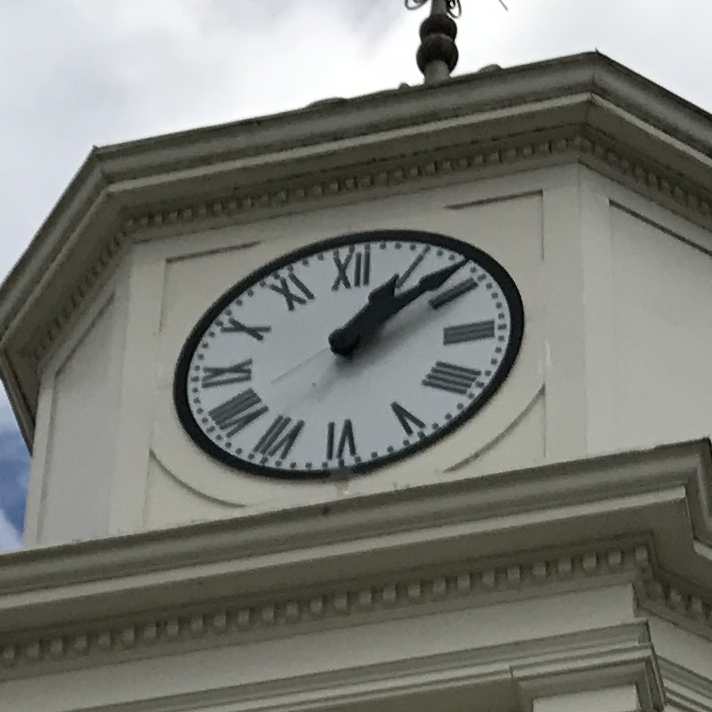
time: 1:08
